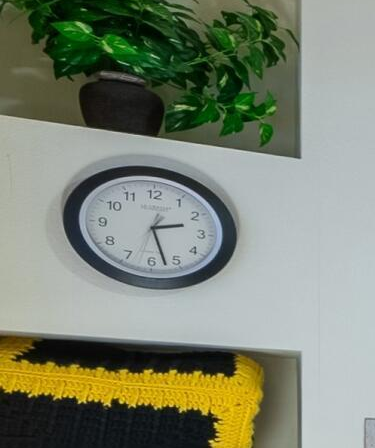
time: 2:27
